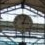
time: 3:02
